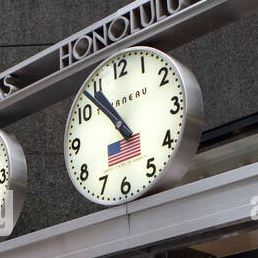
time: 10:53
